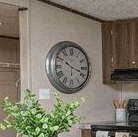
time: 10:18
